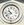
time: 10:41
